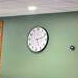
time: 5:11
